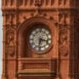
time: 3:32
